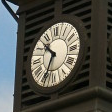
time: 10:34
